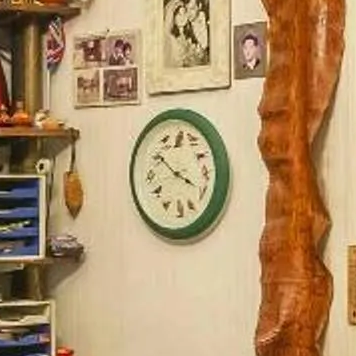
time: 3:51
